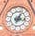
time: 3:04
